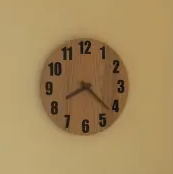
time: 8:21
